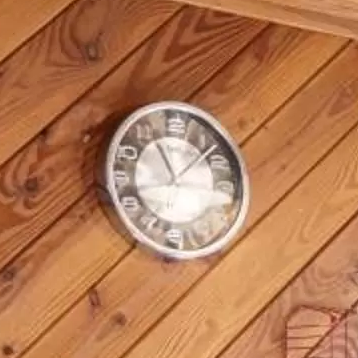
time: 11:09
